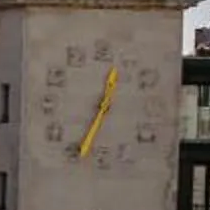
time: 12:34
